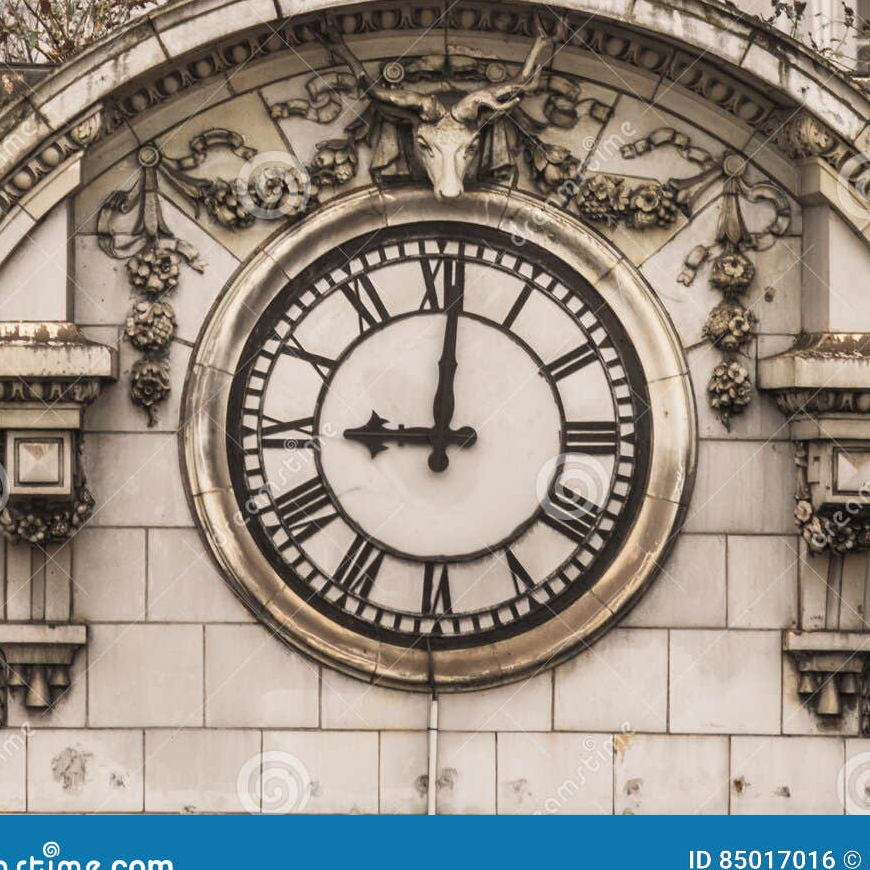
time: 9:00
